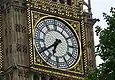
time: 6:39
